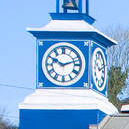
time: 10:12
